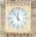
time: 11:53
